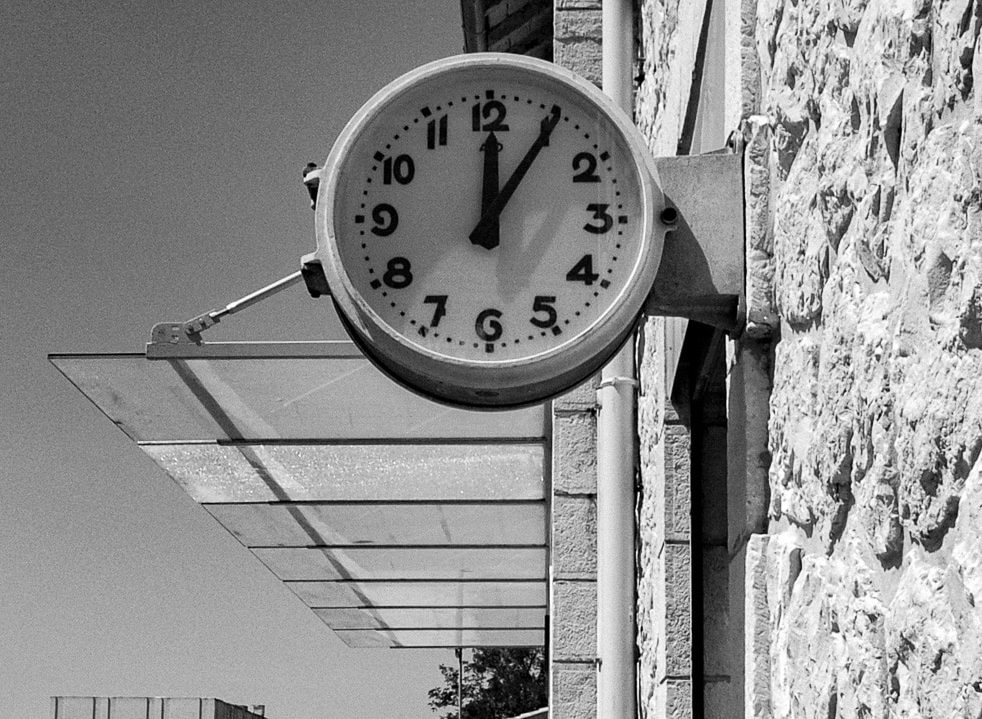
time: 12:05
